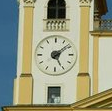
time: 5:08
